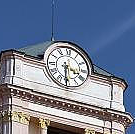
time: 3:30
